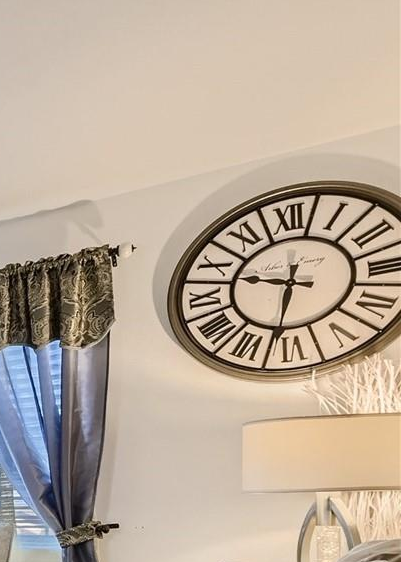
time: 9:32
